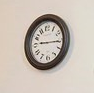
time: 9:15
